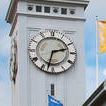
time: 2:32
